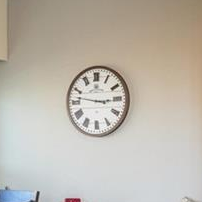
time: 2:46
